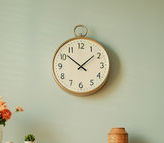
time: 1:51
